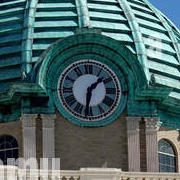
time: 1:31
